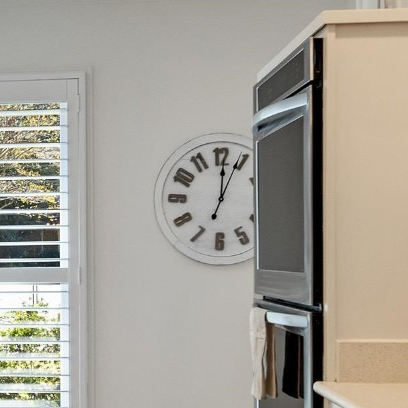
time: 12:04
